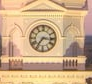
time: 7:15
